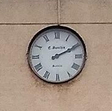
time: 2:10
